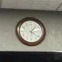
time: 1:21
